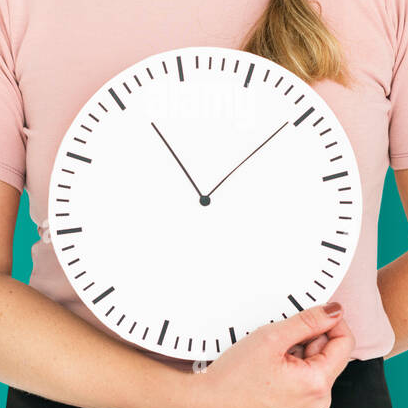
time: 11:09
